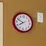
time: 7:49
